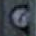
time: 6:06
